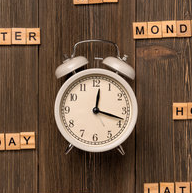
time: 12:17
